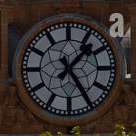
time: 1:24
